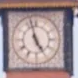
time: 4:57
